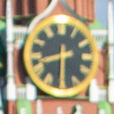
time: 8:30
